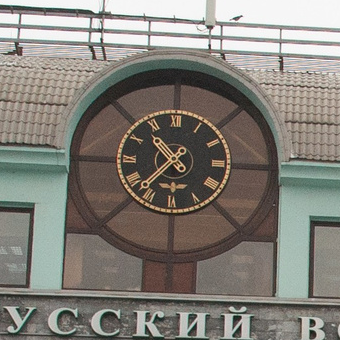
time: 10:37
